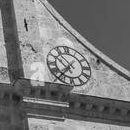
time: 10:36
